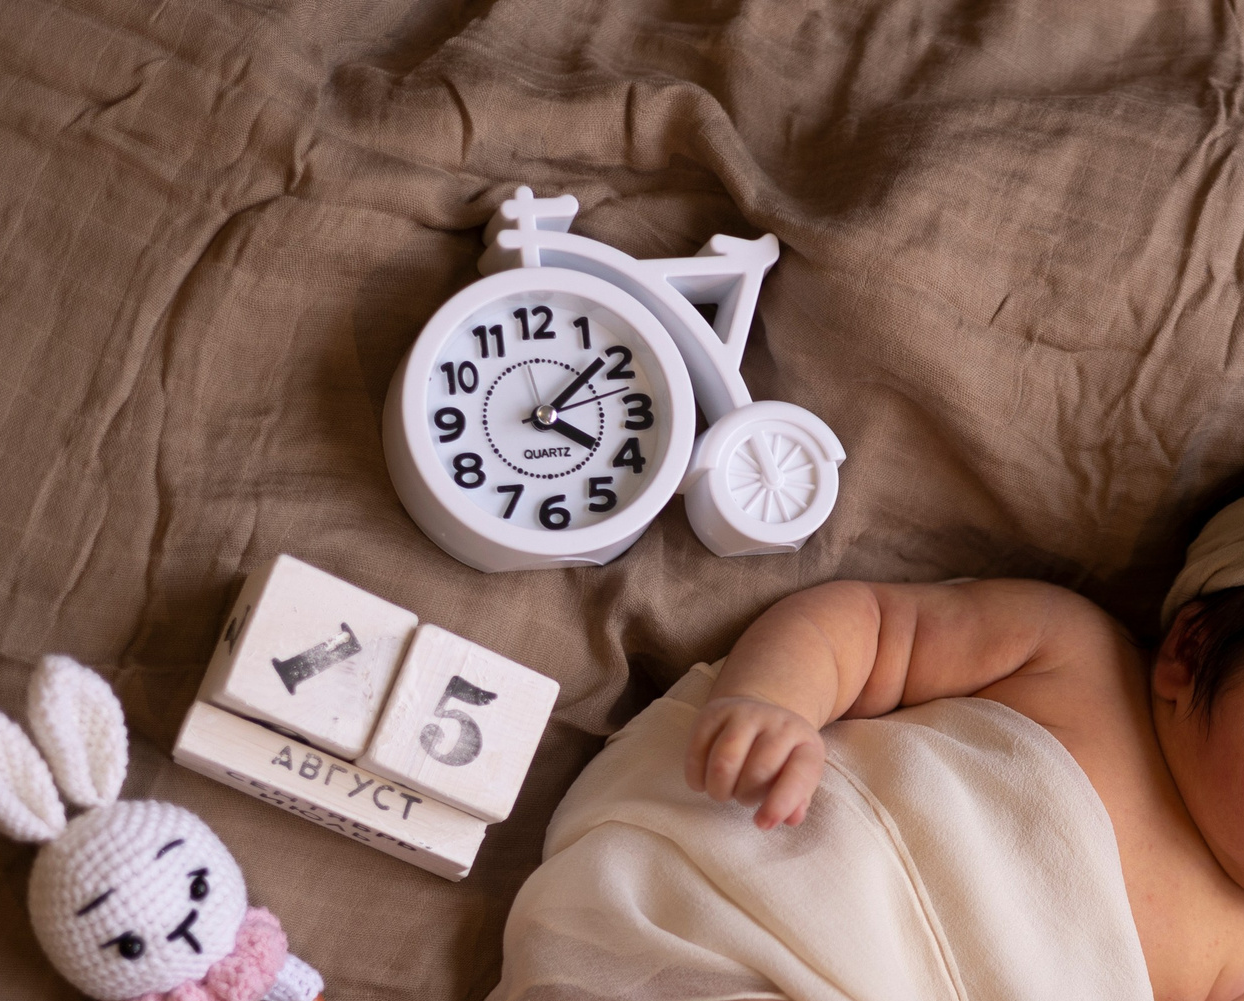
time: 4:08
